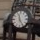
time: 11:24
